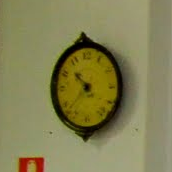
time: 10:37
